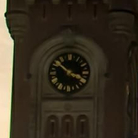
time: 3:51
